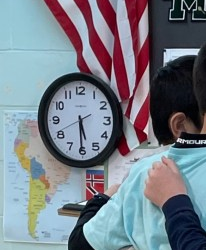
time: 5:30
